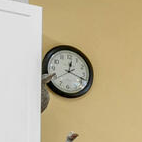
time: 12:18
